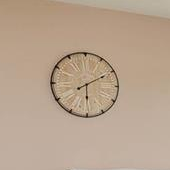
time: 6:10
